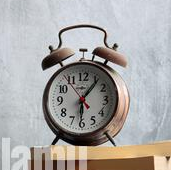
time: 6:06
